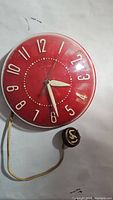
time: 3:28
